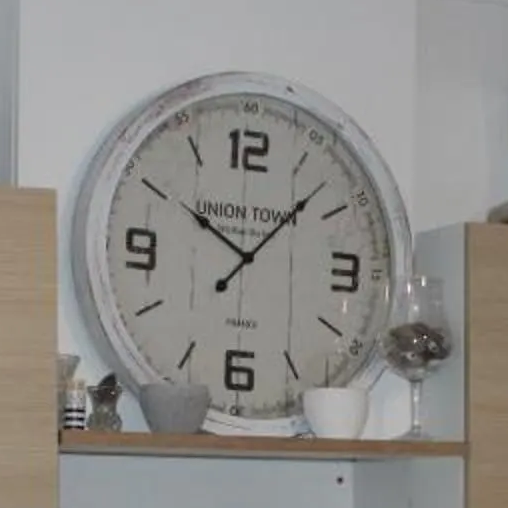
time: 10:07
